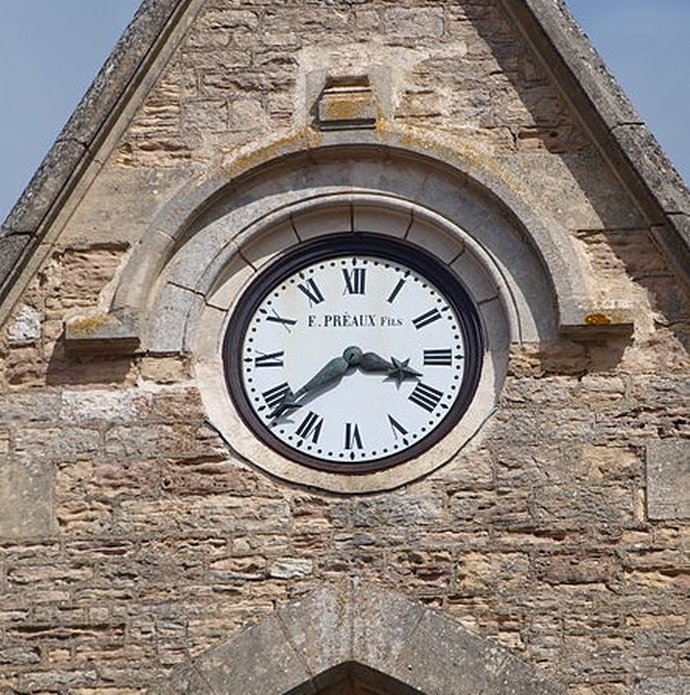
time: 3:38
